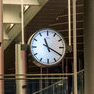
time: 11:19
